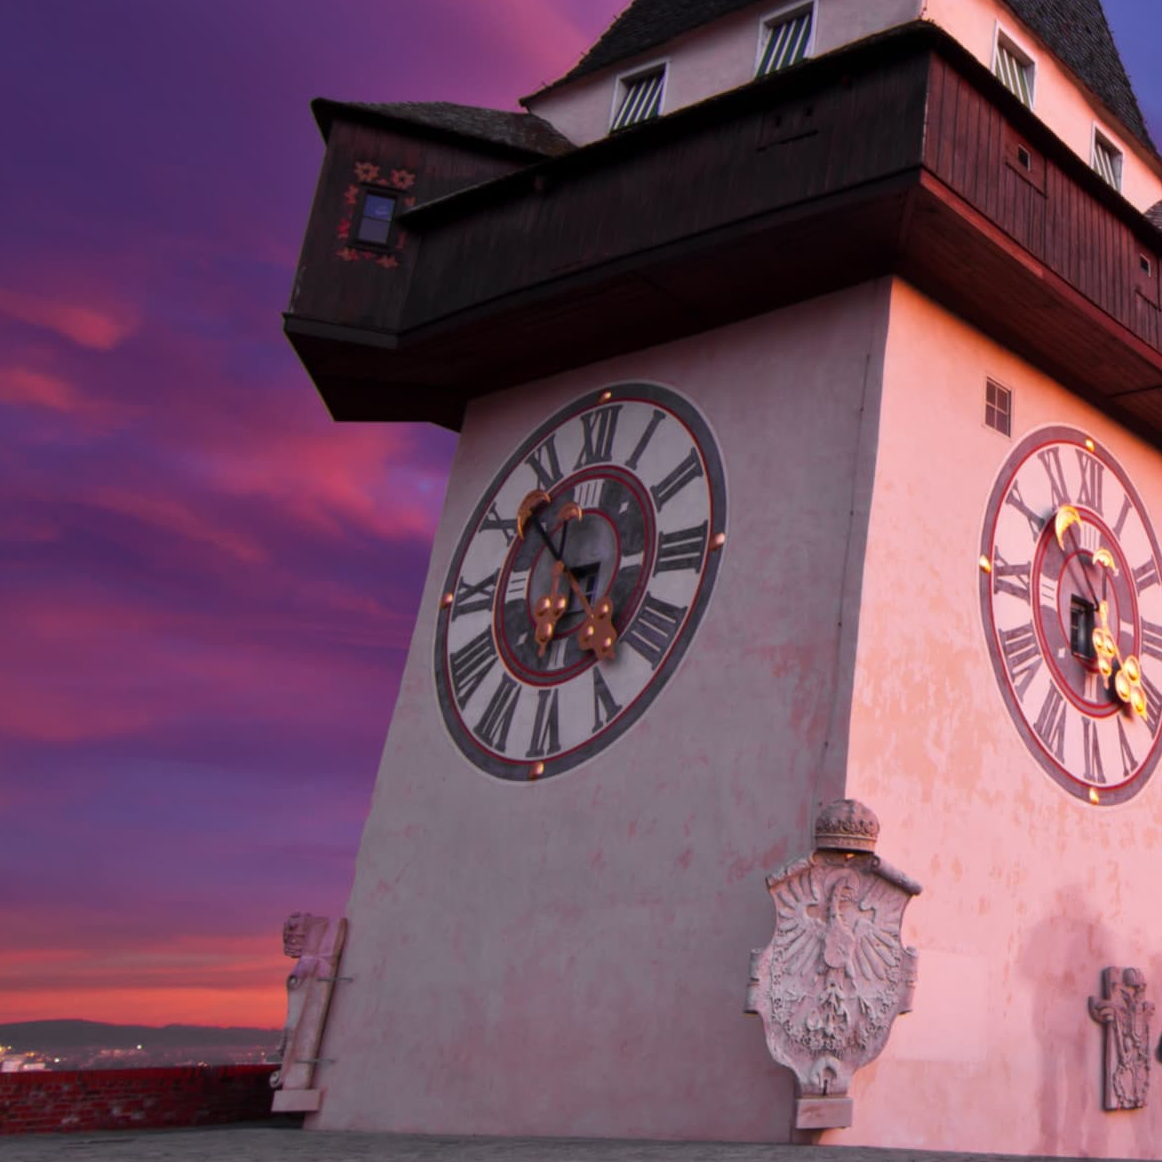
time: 6:52
